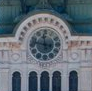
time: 11:47
